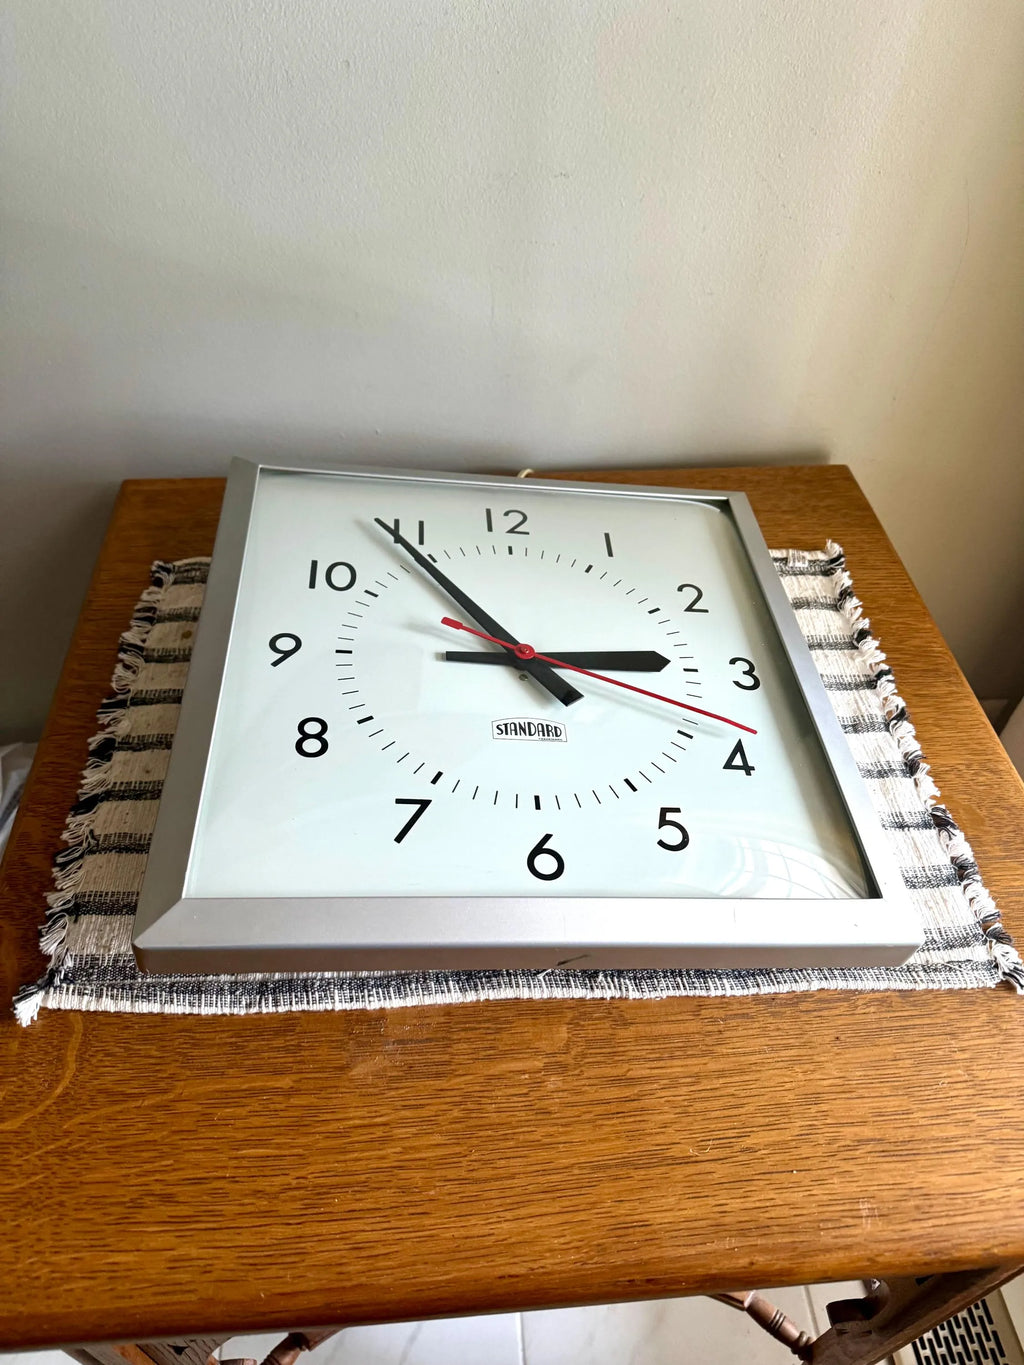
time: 2:54
